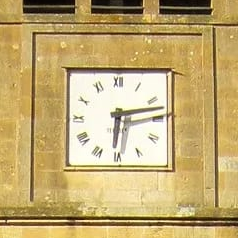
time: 6:13
